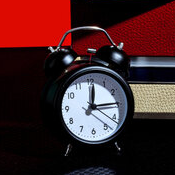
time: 12:14
